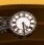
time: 4:28
